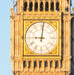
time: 9:01
